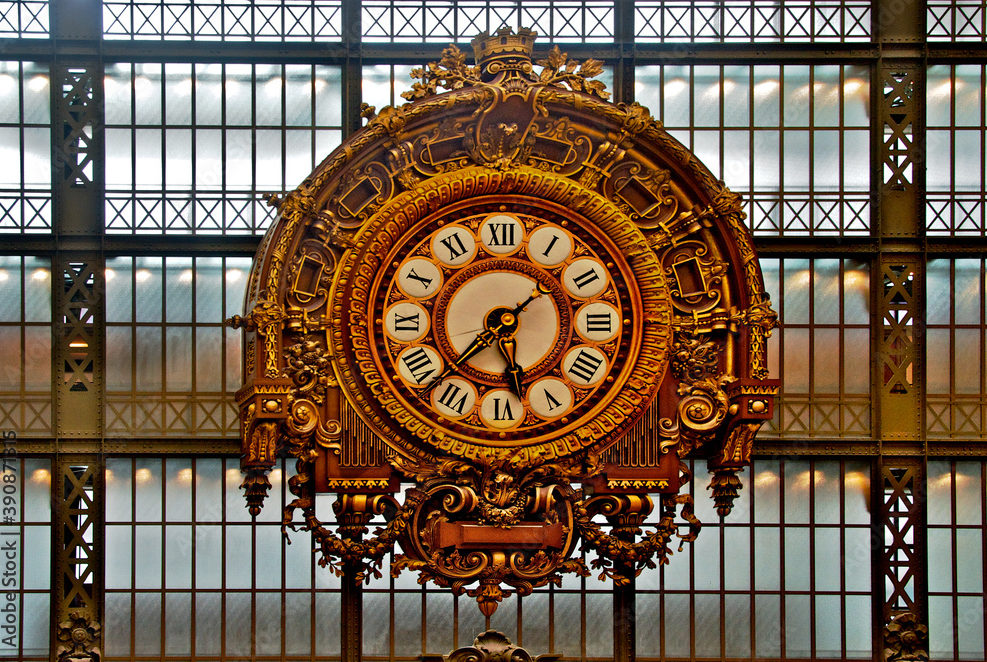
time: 5:37
